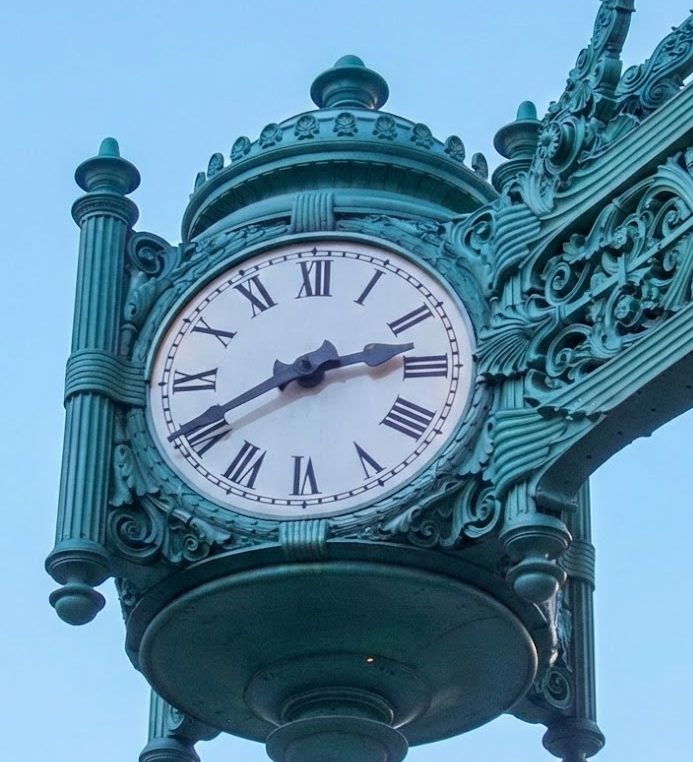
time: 2:40
